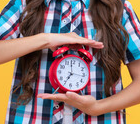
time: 6:59
